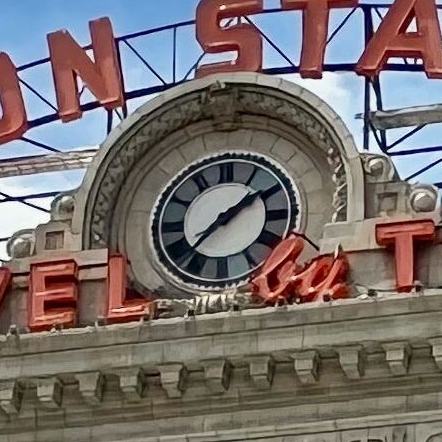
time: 1:36
